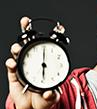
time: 6:00
